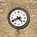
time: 4:41
